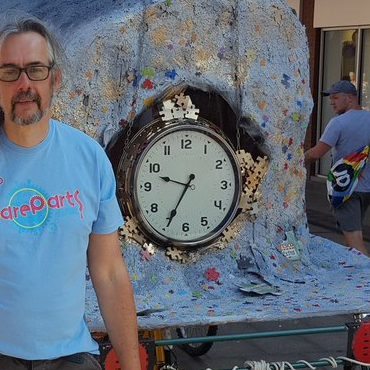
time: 9:34
